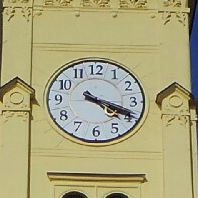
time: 4:19
